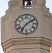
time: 7:09
